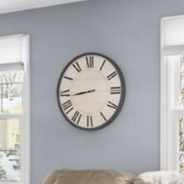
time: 8:43
